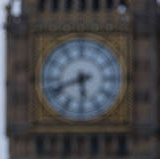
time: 5:41
